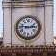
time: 2:46
